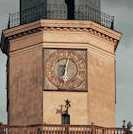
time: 6:02
